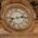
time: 2:42
